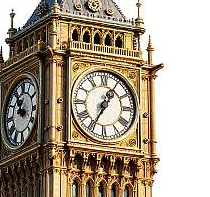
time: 12:34
